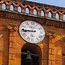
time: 8:45
